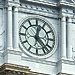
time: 12:23
